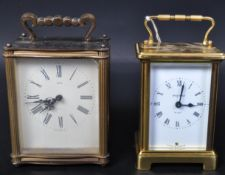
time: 12:14
